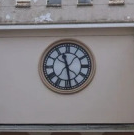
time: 11:28
